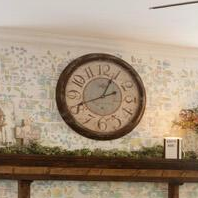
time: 12:41
